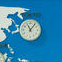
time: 11:06
